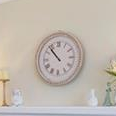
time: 10:53
